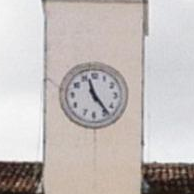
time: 11:23
